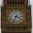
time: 3:34
